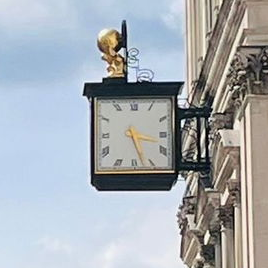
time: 3:27
